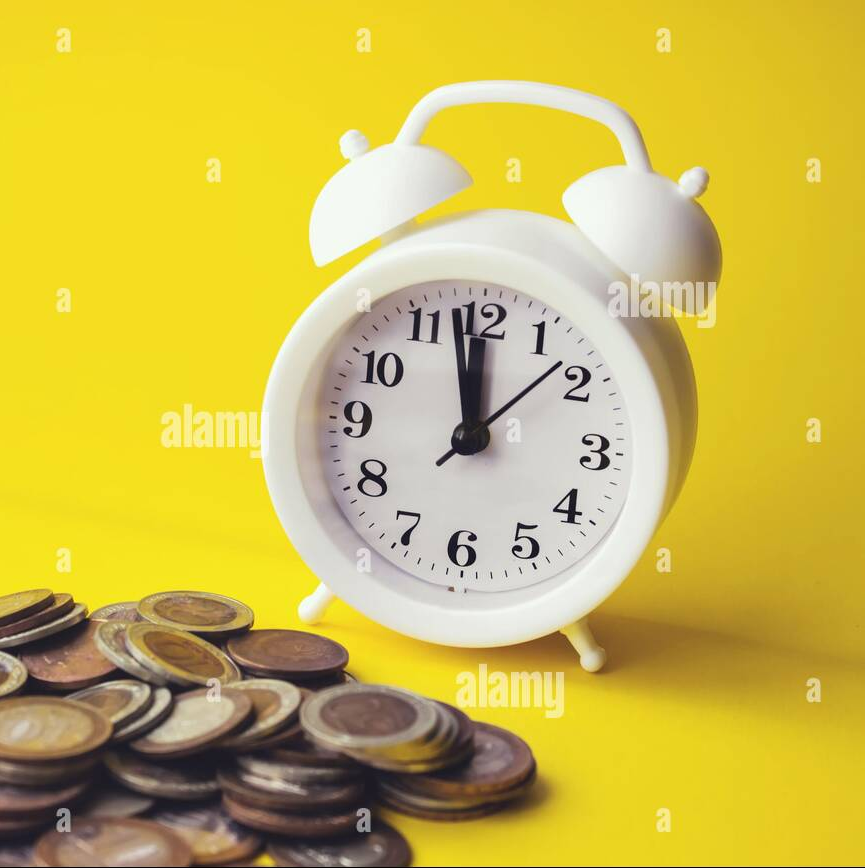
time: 11:58
